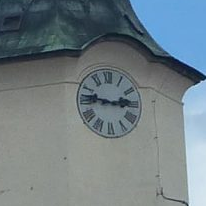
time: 2:46
